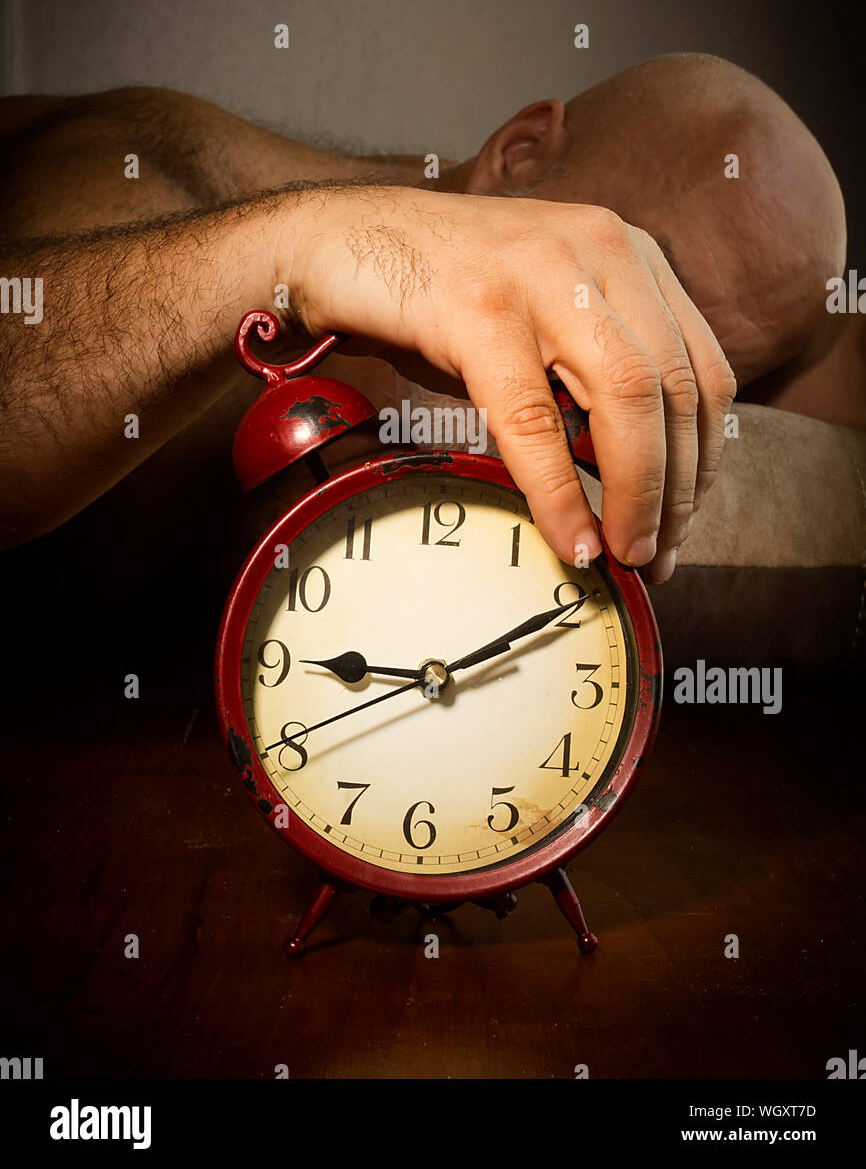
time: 9:10
